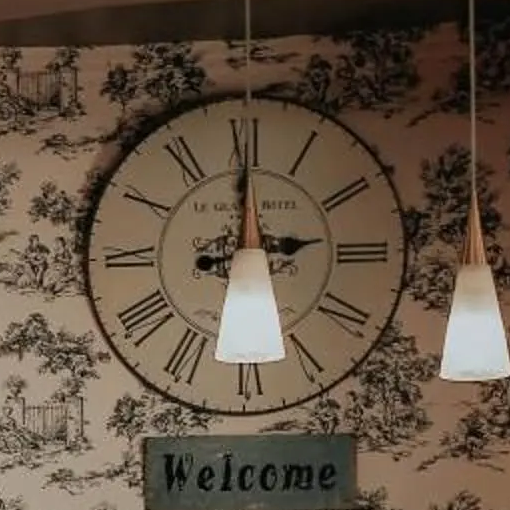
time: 2:59
